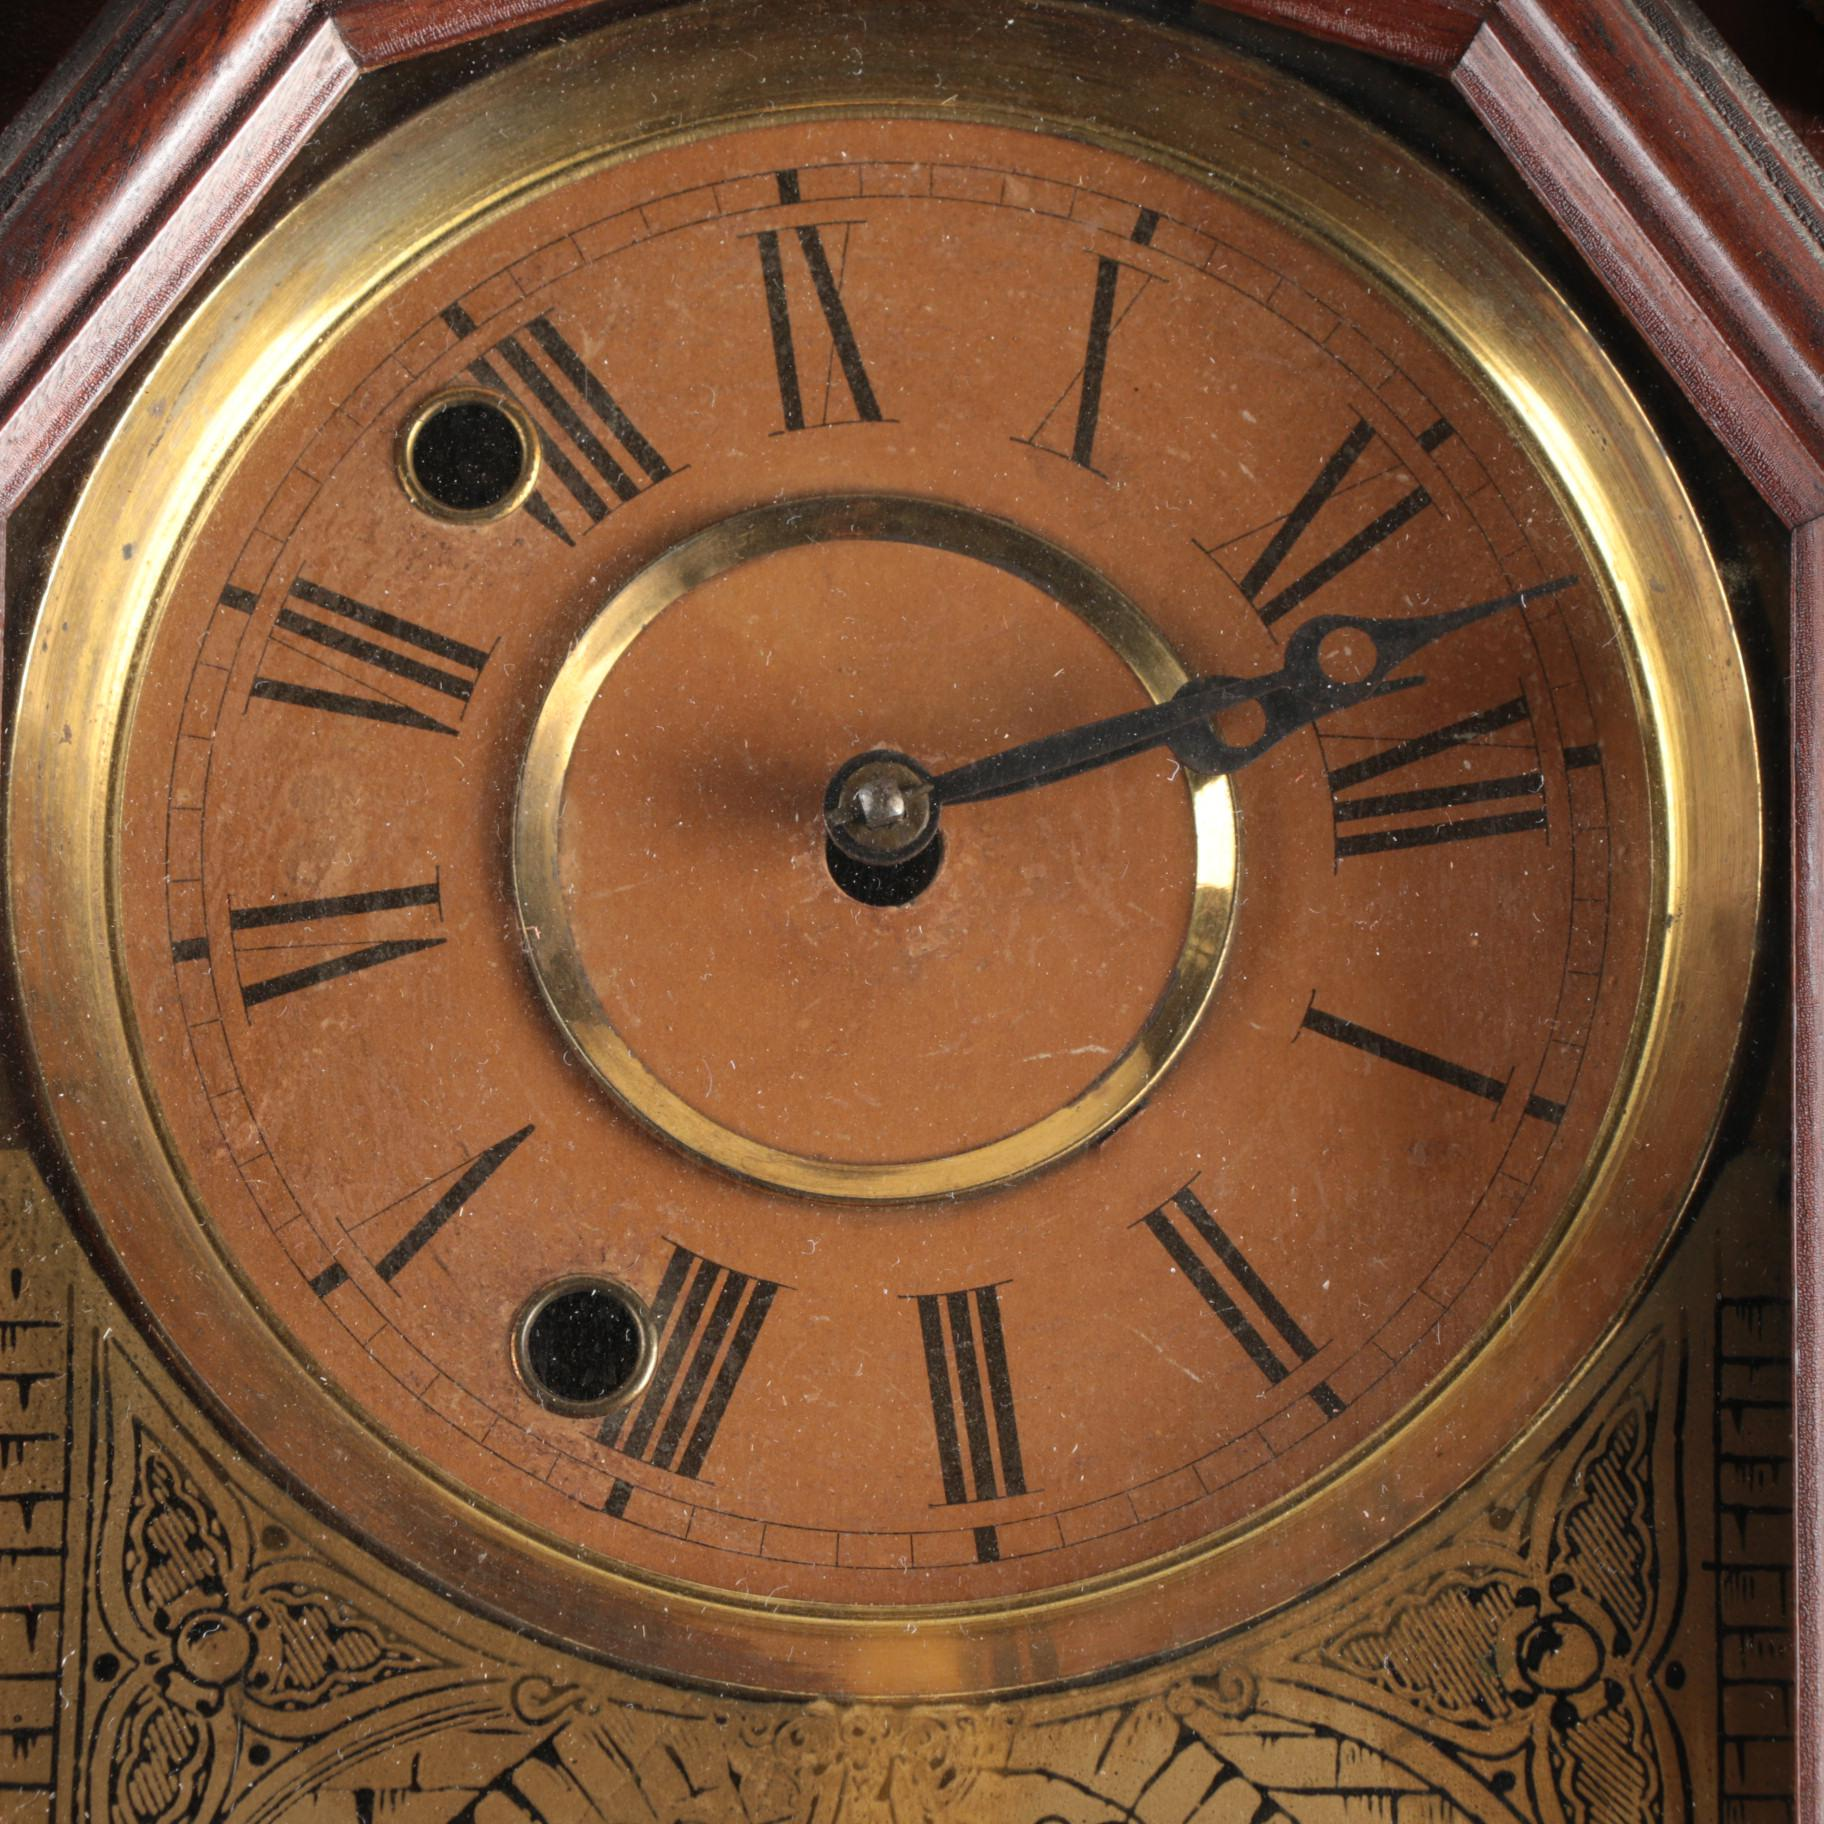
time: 2:12
